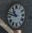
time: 10:47
